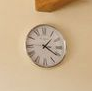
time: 1:20
